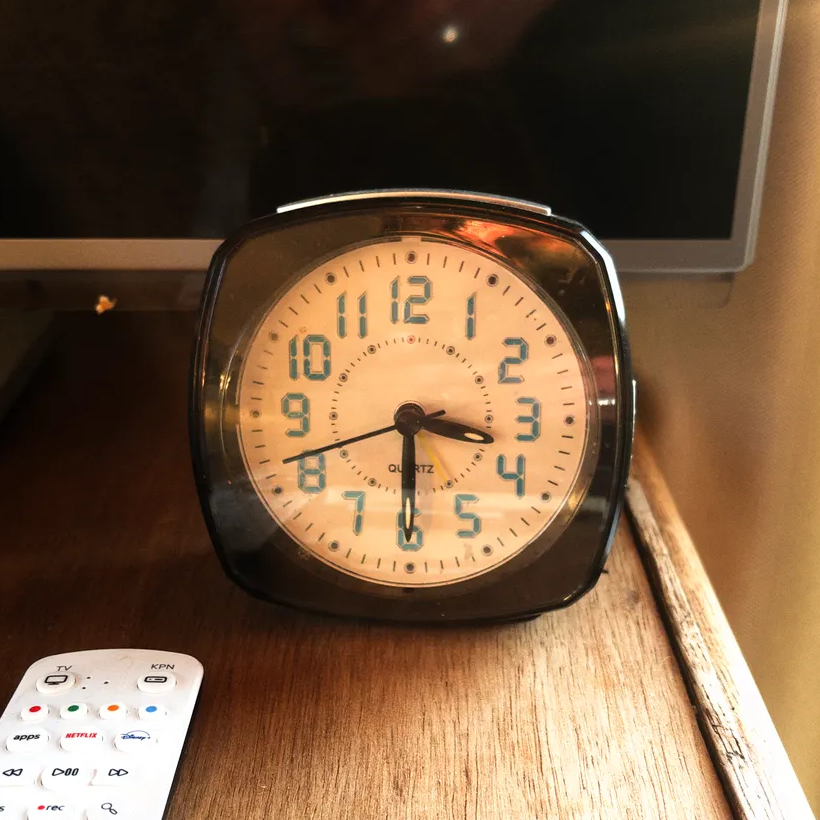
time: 3:29
